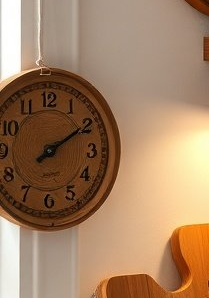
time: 2:09
